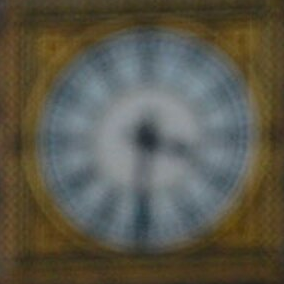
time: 3:31
